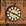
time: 3:48
